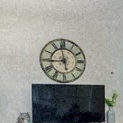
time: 8:58
